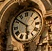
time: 5:51
